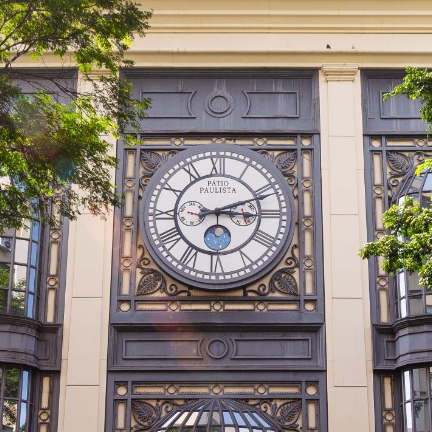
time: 3:11
